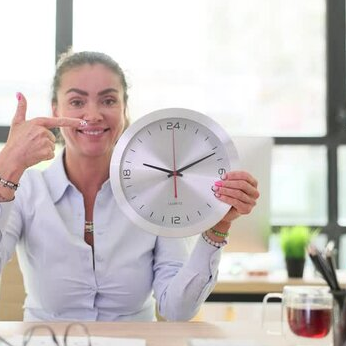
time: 9:10
